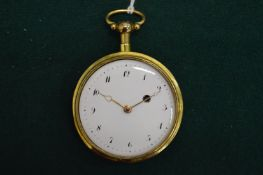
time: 1:50
